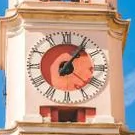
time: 1:06
